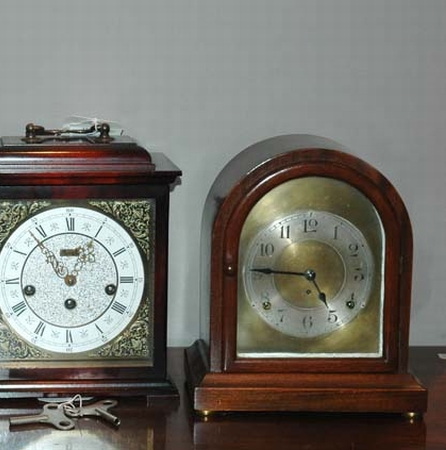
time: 4:45
